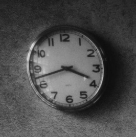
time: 3:42
